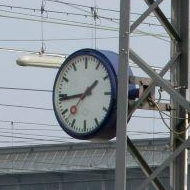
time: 1:44
